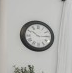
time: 10:14
